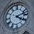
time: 4:12
